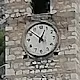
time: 12:52
